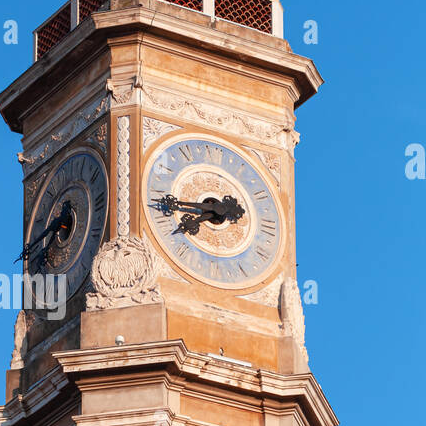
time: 7:44
